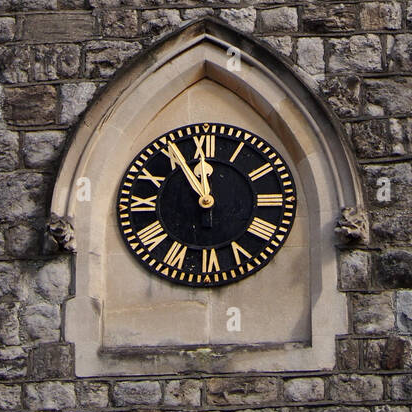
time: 11:55
